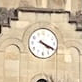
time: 4:19
